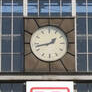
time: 1:42
